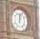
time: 12:03
